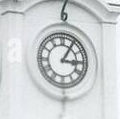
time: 3:05
